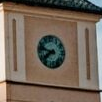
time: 7:47
